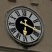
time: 6:18
